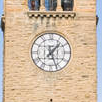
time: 1:26
